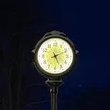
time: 5:11
